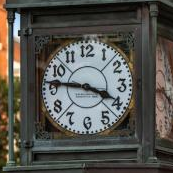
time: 3:46
